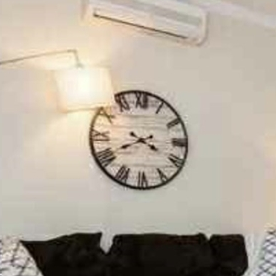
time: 3:40
